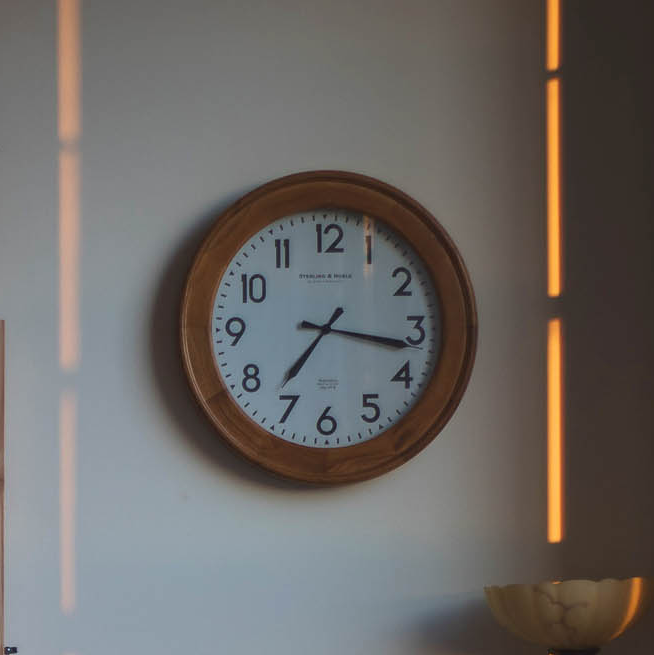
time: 7:16
